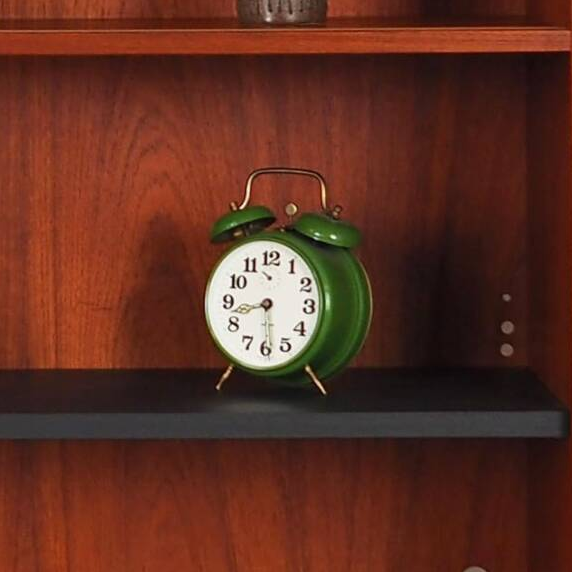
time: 8:29
